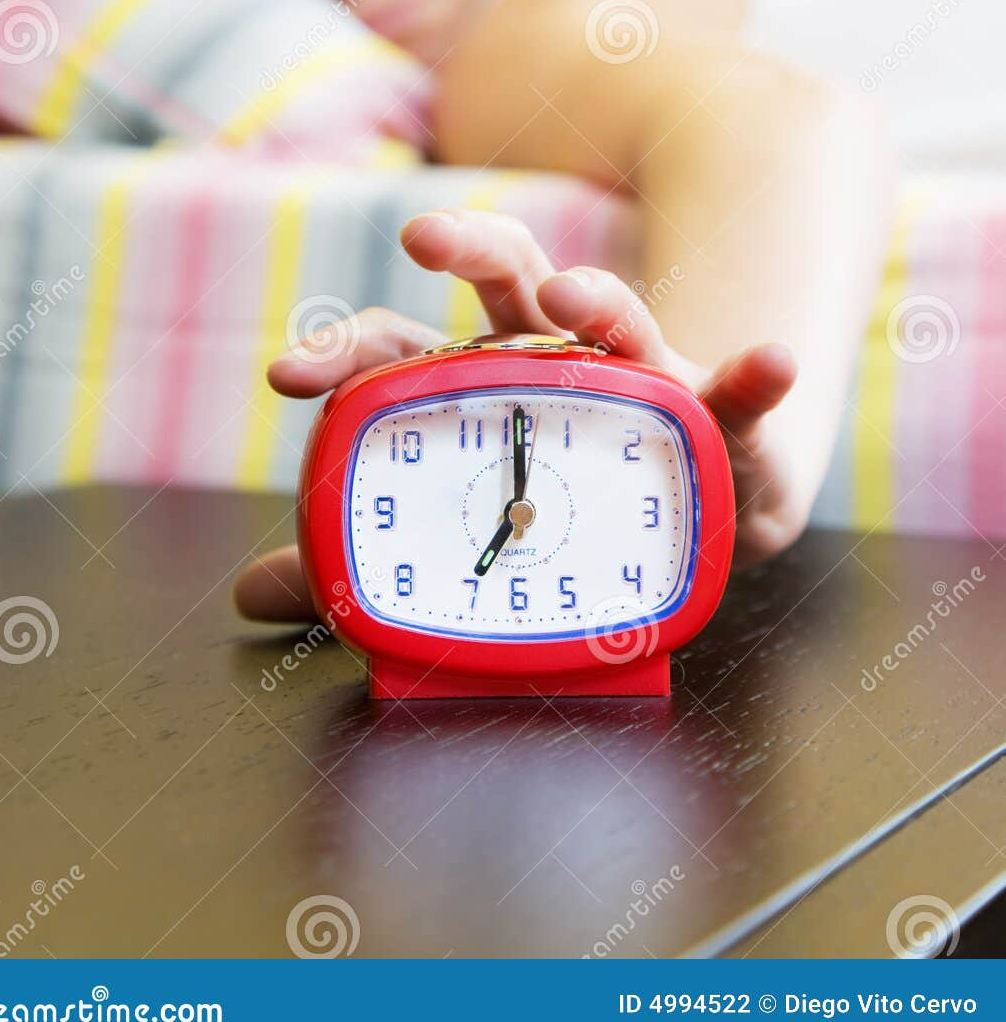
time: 7:00
